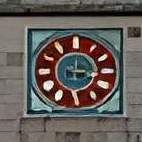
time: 3:29
